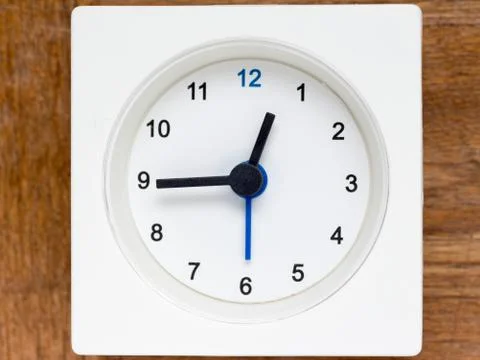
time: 12:44
